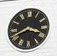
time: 3:40
